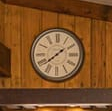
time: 1:38
